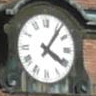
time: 4:06
